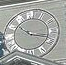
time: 10:17
